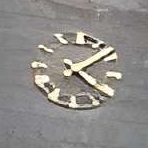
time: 4:08
